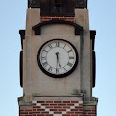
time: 5:30
